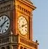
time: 8:11
